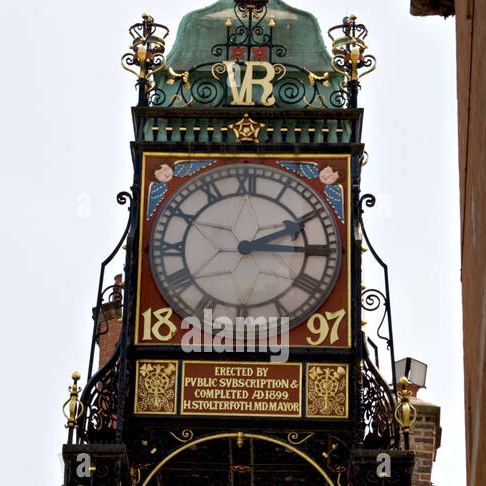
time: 2:15
